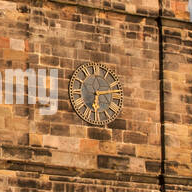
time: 6:13
